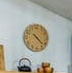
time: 4:22
